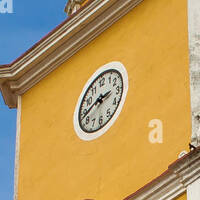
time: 2:42
